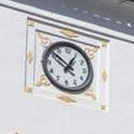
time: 12:51
